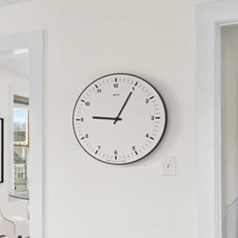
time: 9:04
